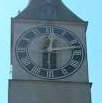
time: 12:13
